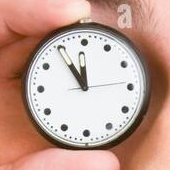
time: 11:54
